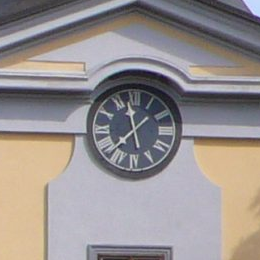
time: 11:37
